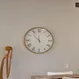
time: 11:53
